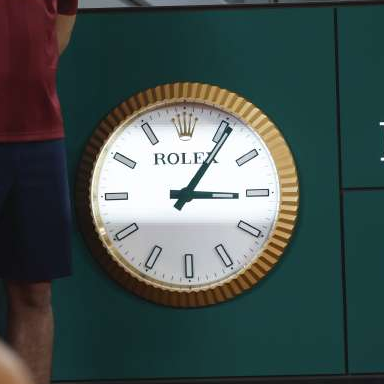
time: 3:05
